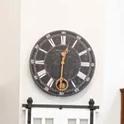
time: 12:30
